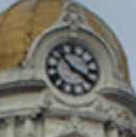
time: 3:52
